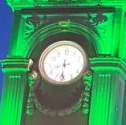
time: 8:31
